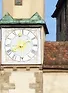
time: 8:09
